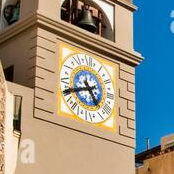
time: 4:40
